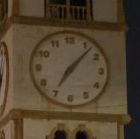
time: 7:07
